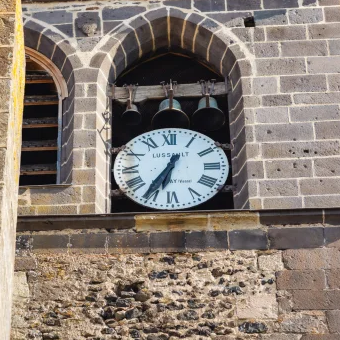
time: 6:35
